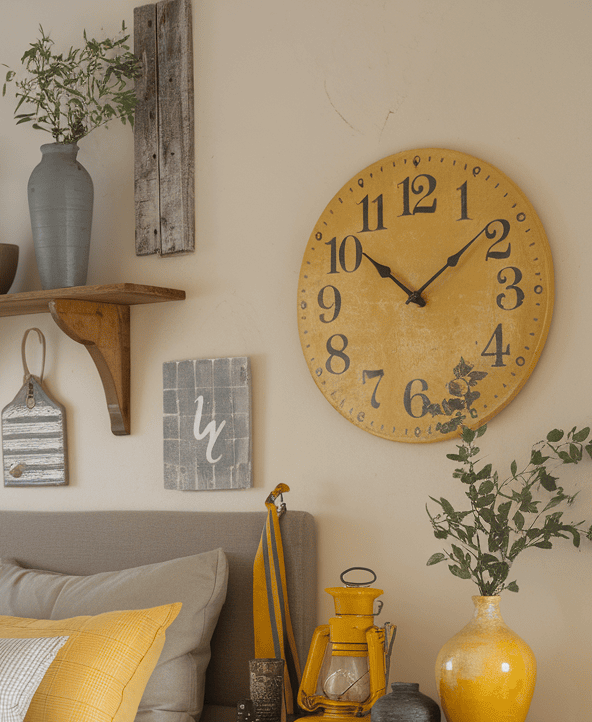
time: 10:08
